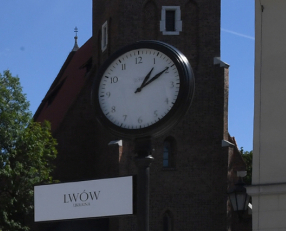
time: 1:09
